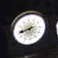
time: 8:43
